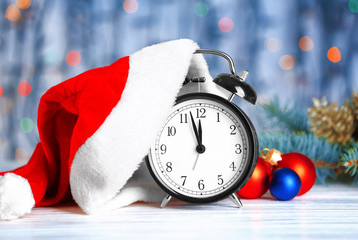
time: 11:57
